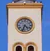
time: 4:33
